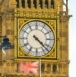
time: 4:22
